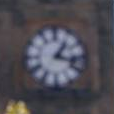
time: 1:17
